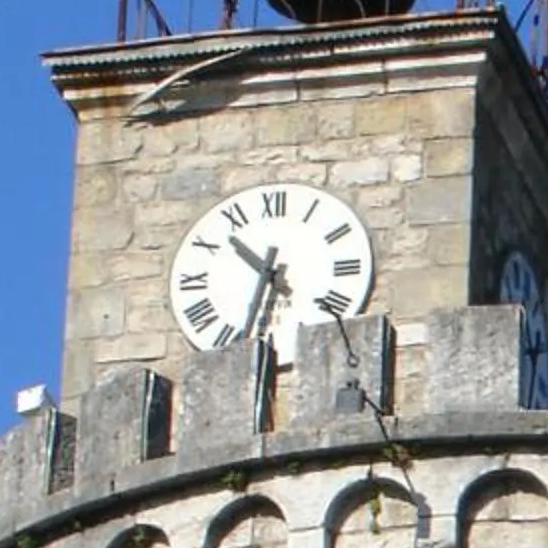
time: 10:32
